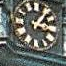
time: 1:18
